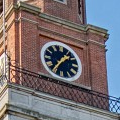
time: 1:35
